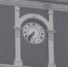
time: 7:36
